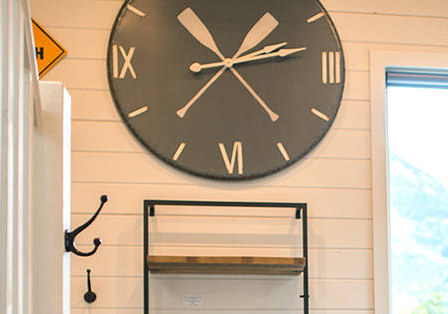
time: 1:13
